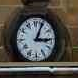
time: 3:04
